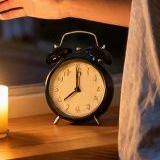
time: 8:00
